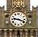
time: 9:18
